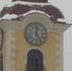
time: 12:24
